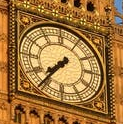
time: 7:36
